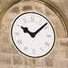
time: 10:08
